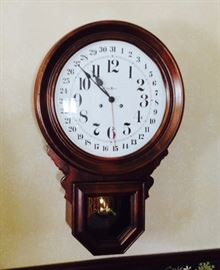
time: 10:52
